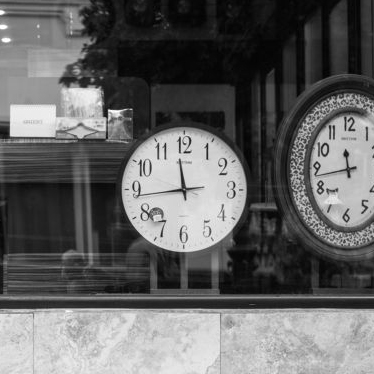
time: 11:43
